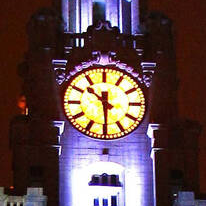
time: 10:29
